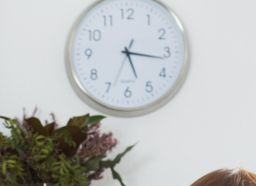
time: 5:16
